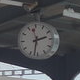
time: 2:32
